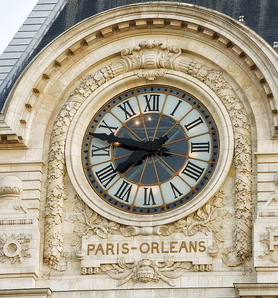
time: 7:47
